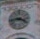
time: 3:43
